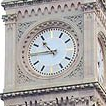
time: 10:45
